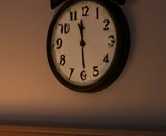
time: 11:29
